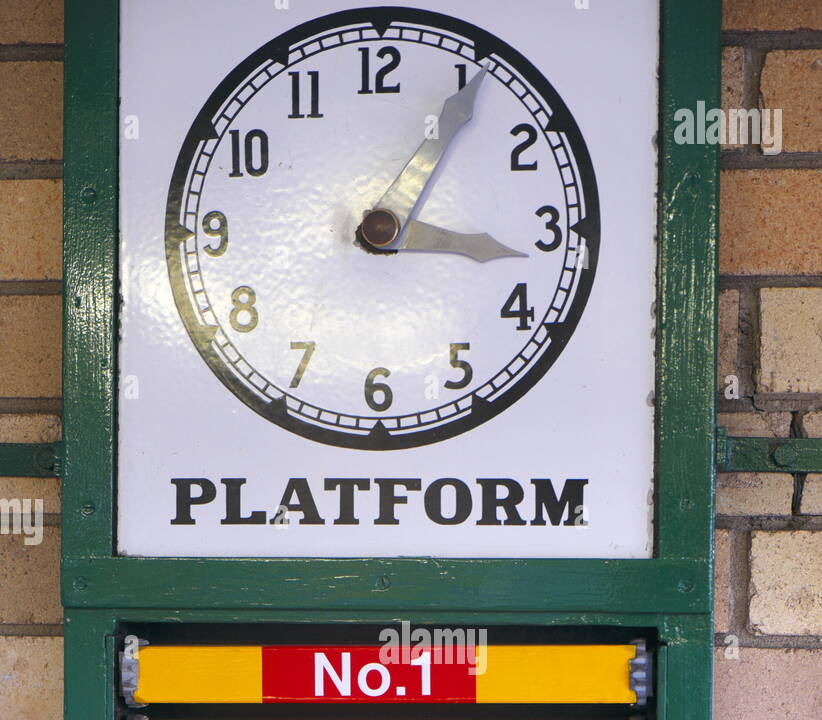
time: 3:05
